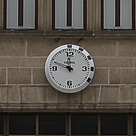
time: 11:48
